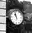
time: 10:57
